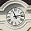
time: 11:13
